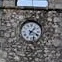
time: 1:18
